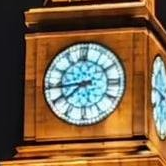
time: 7:43
